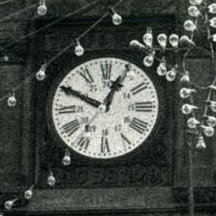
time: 12:49
